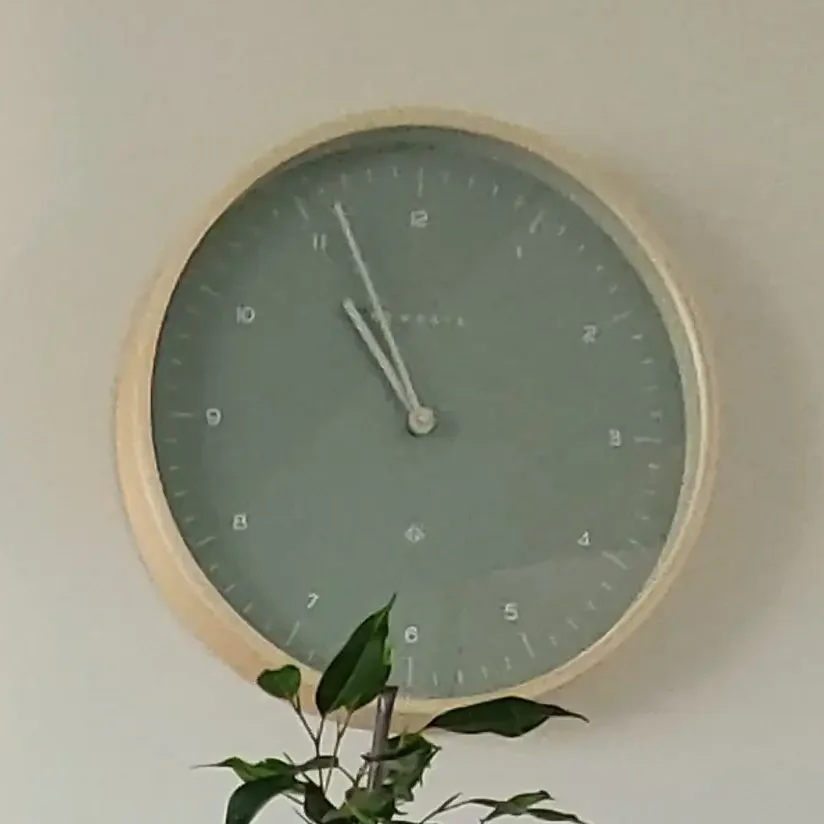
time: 10:56
